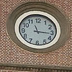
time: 11:15
